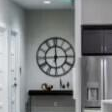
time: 2:59
